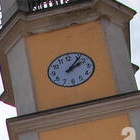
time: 2:06
